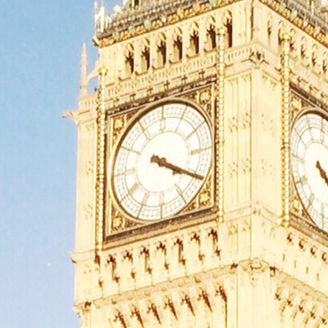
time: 4:20
